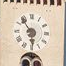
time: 5:53
